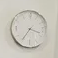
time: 3:35
